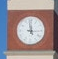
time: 2:58
